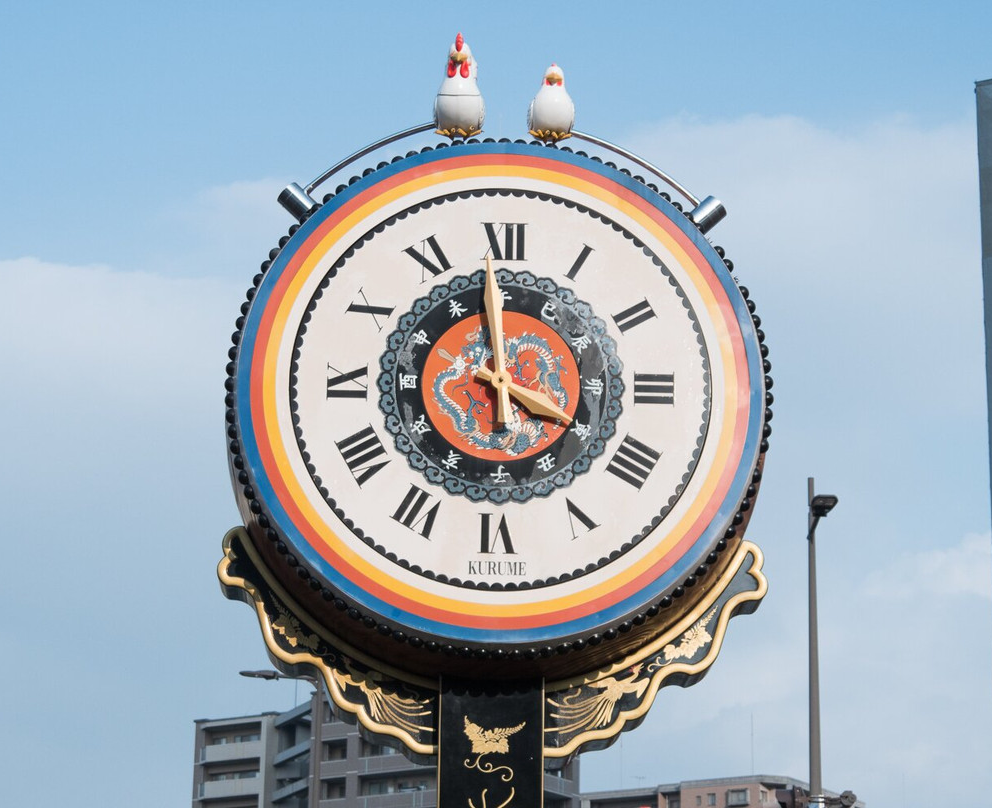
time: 3:58
